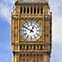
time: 12:49
